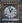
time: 12:57
